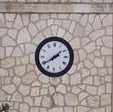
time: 1:39
